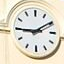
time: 9:09
